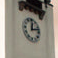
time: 12:12
